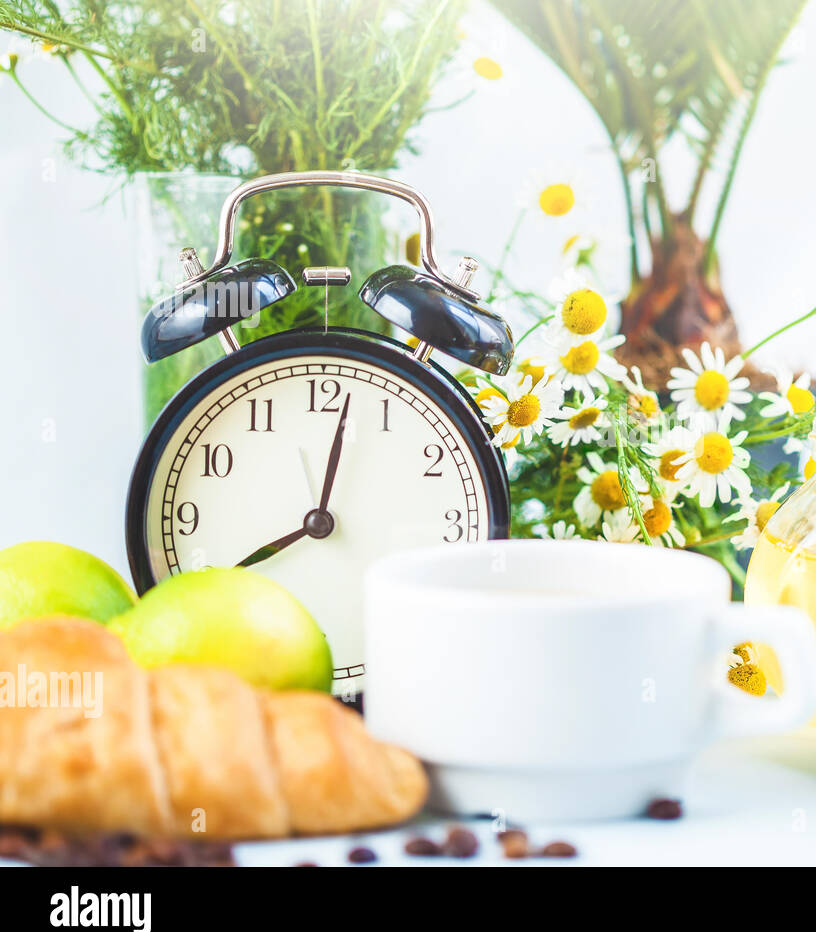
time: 8:02
